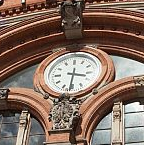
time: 3:31
